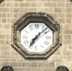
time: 7:08
